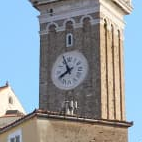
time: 7:55
